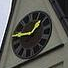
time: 12:44
